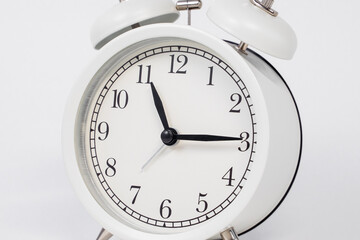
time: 11:14
